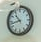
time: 10:42
